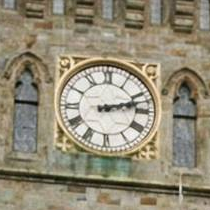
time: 2:12
